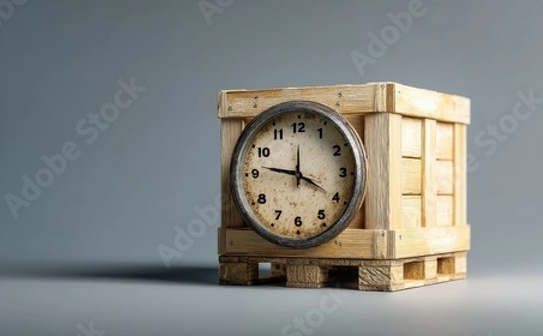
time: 9:20
